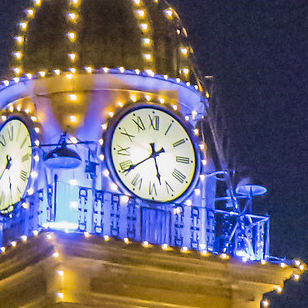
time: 11:39
